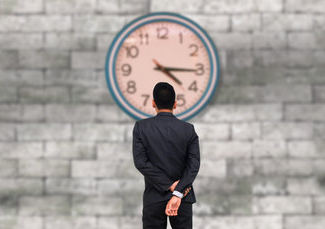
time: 4:15
